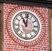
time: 11:01
